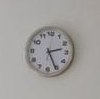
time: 2:25
